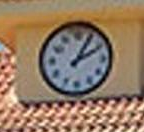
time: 2:05
